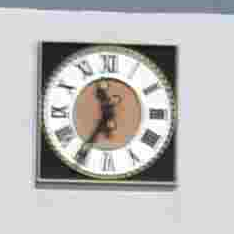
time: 11:35
